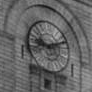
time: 9:12
